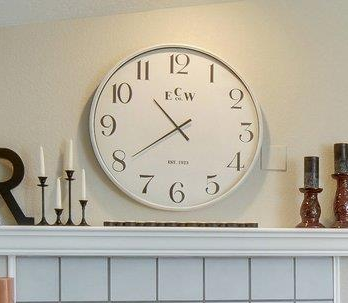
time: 10:39
